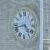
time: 4:42
